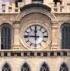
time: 11:46
